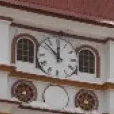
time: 11:52
